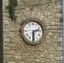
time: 2:30
